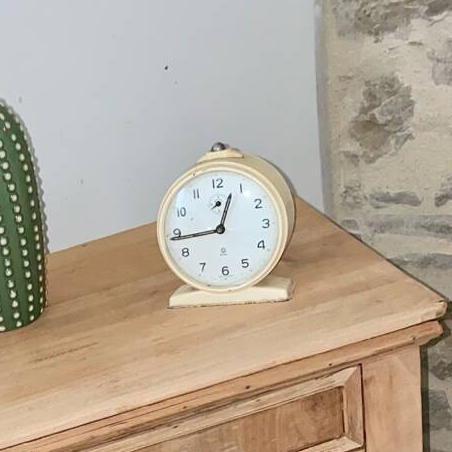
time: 12:43
